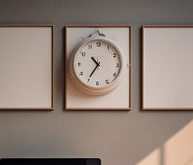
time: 10:35
